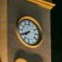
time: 7:40
